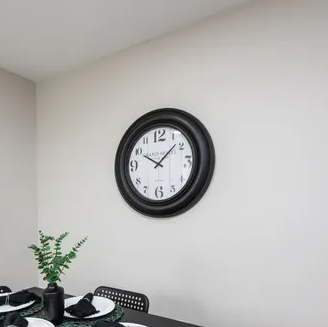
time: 10:07
